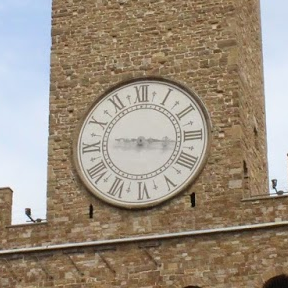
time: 9:16
